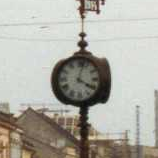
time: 4:02
